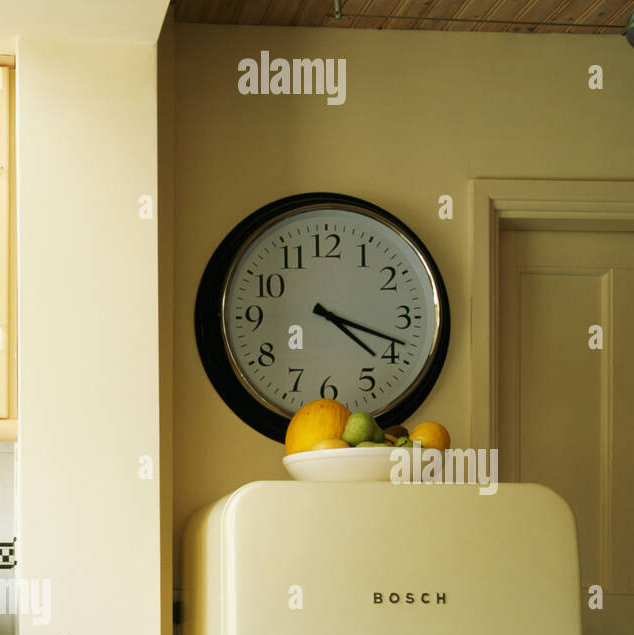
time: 4:18
